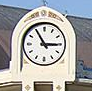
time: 2:55
